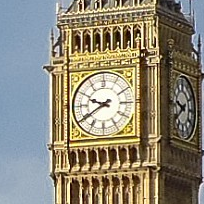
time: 9:40
